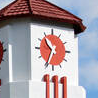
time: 10:34
